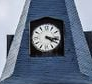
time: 4:17
